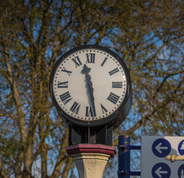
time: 11:28
